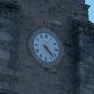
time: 4:21
